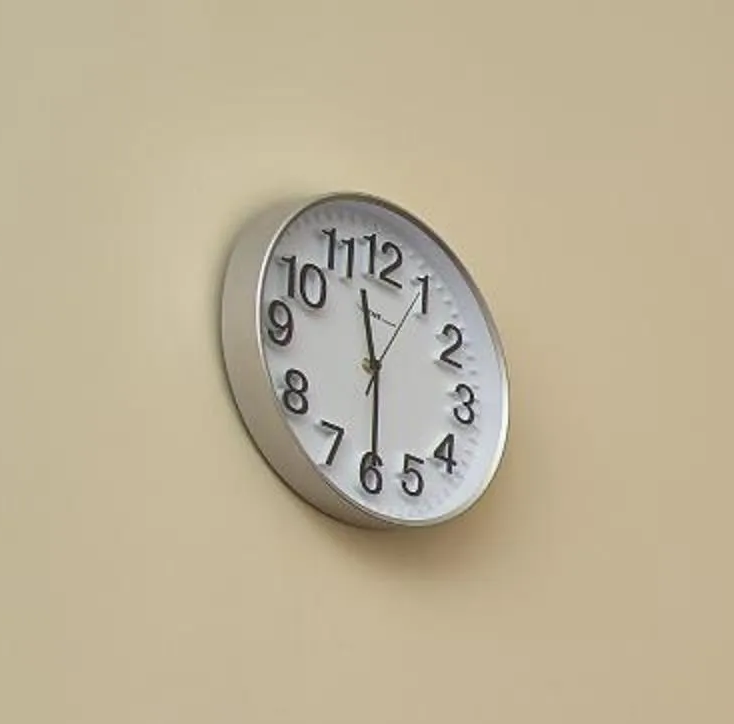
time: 11:29
